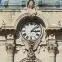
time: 3:08
